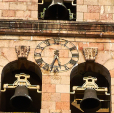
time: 5:32
